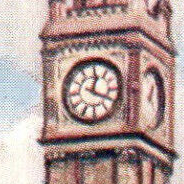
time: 12:19
